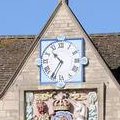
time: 10:35
